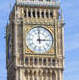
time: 2:59
